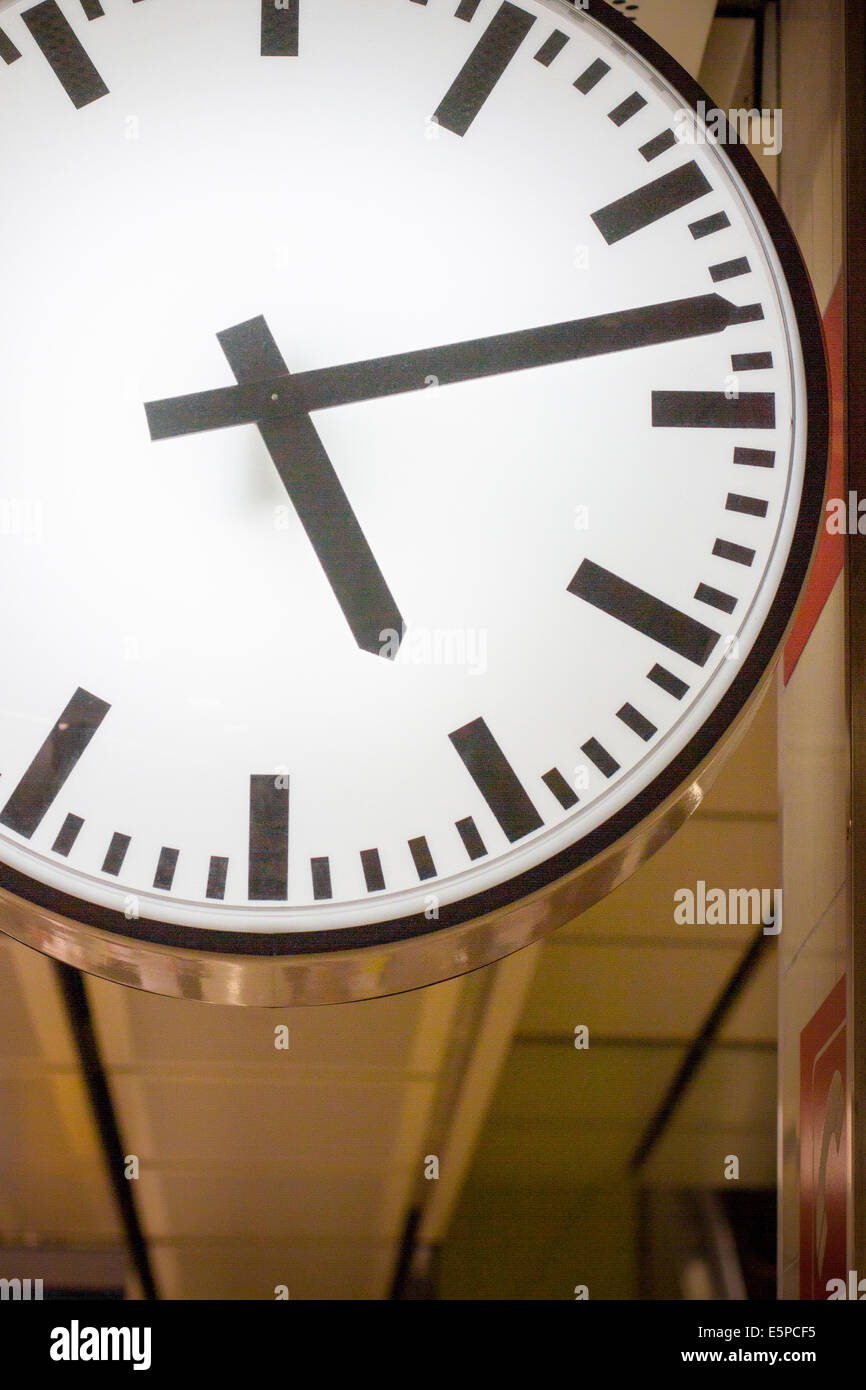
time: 5:13
